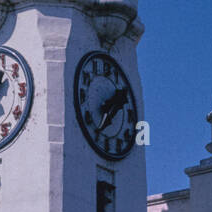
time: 1:36
